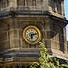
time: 6:12
